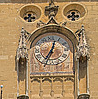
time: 12:34
